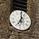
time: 7:01
